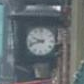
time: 9:42
